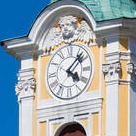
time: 4:07
